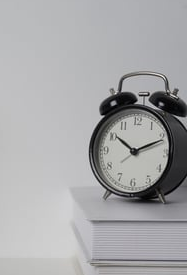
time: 10:11
